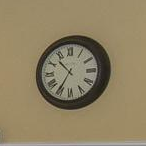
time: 10:35
